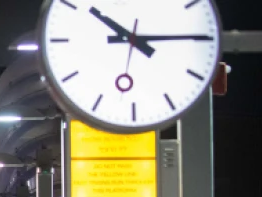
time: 4:14
